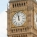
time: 11:58
